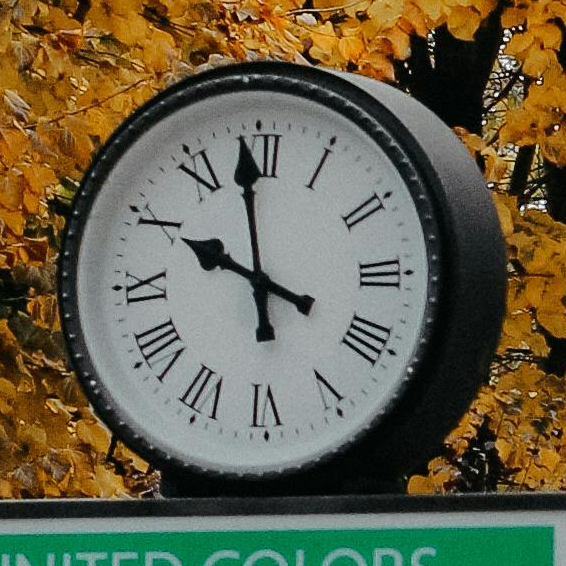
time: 9:58
